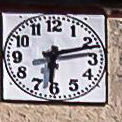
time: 6:12
